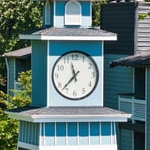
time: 11:37
